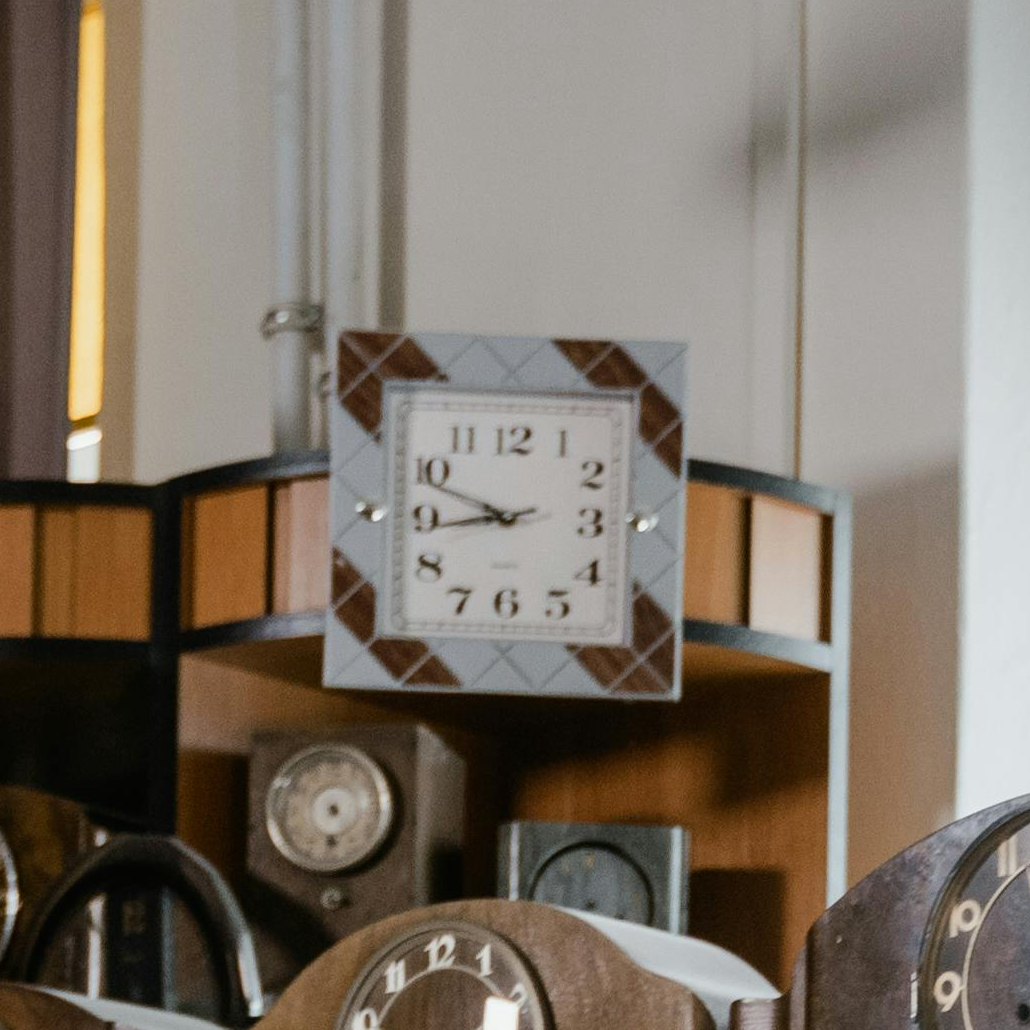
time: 8:48
